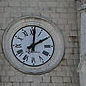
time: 2:01
